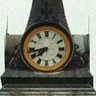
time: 7:42
